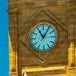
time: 11:05
